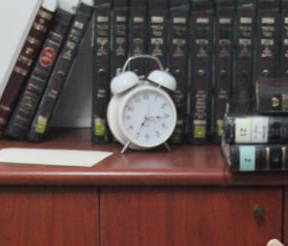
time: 7:15
